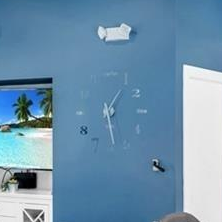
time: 1:28
